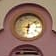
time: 6:08
